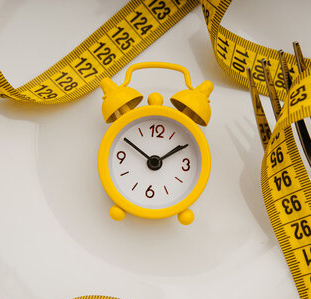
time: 1:50
